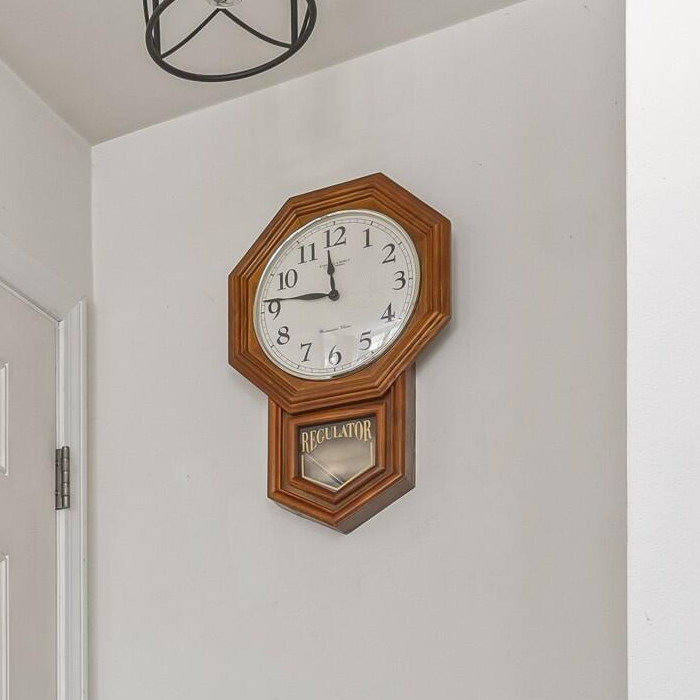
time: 11:46
